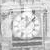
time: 12:07
